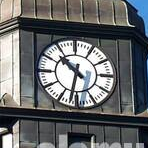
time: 10:32
